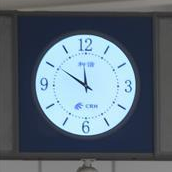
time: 11:50
